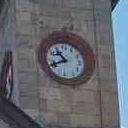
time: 10:41
